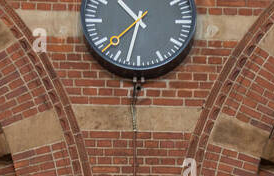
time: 10:32
